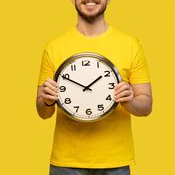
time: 1:49
